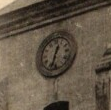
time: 12:32
